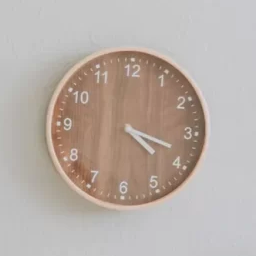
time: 4:18
